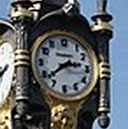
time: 2:38
